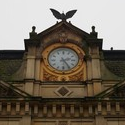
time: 2:24
